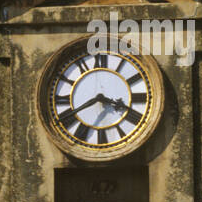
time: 3:40
